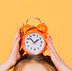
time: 1:52
